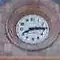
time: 8:14
